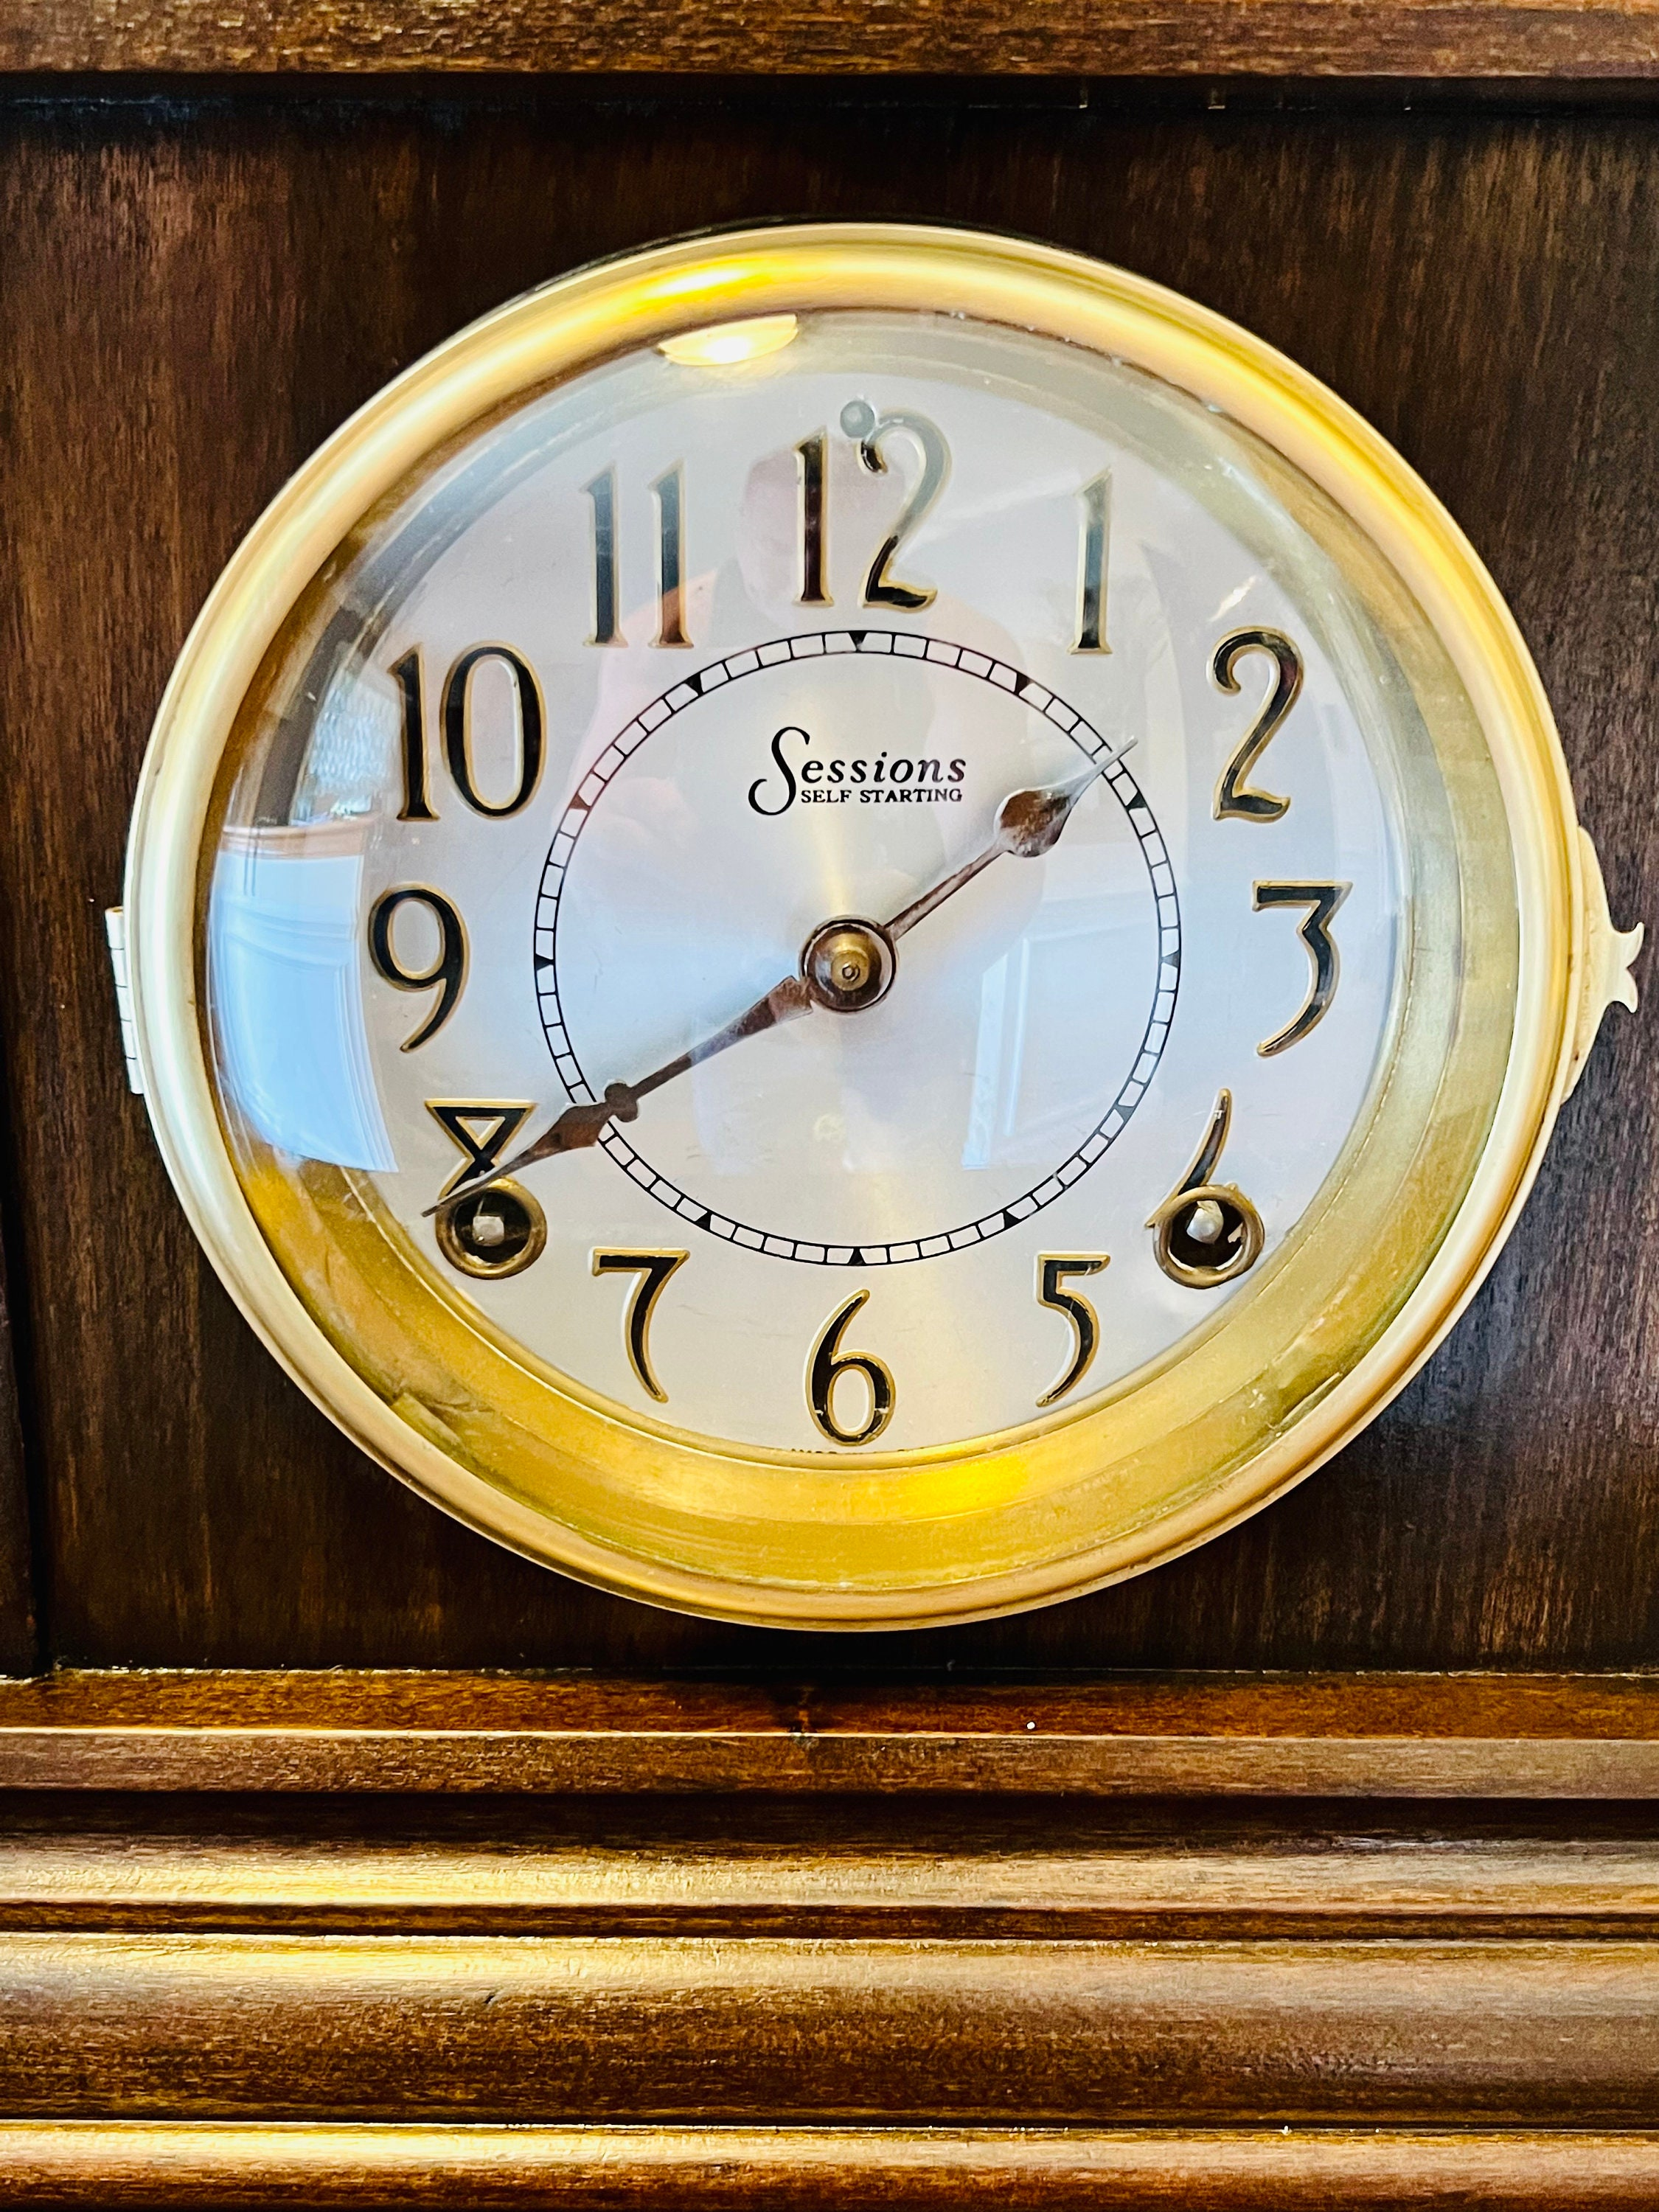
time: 1:39
